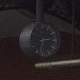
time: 2:32
